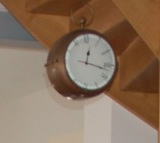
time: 12:17
